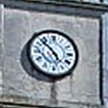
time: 4:52
